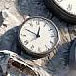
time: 12:49
